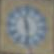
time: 11:28
